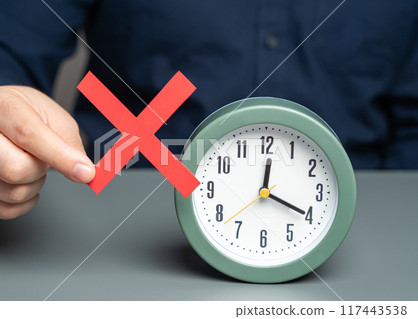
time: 12:19
